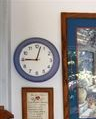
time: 9:02
